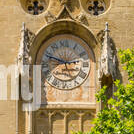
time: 2:48
